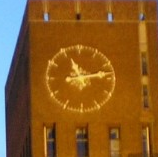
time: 11:13
